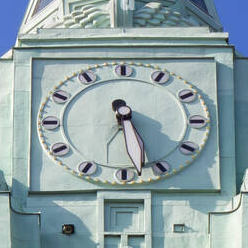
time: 5:27
